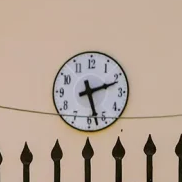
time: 2:27
